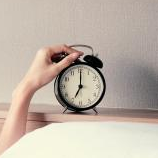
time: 7:00
